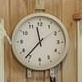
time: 11:36
